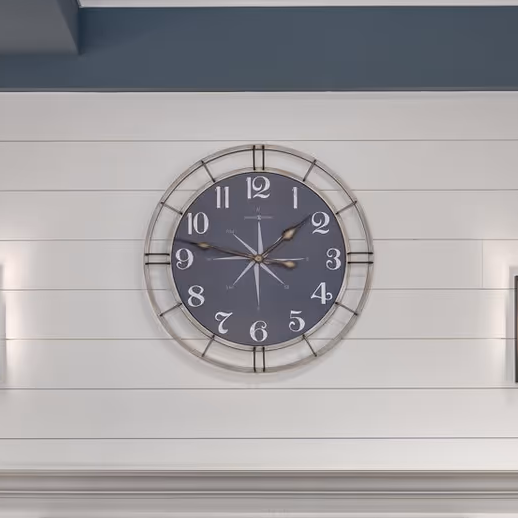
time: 1:47
